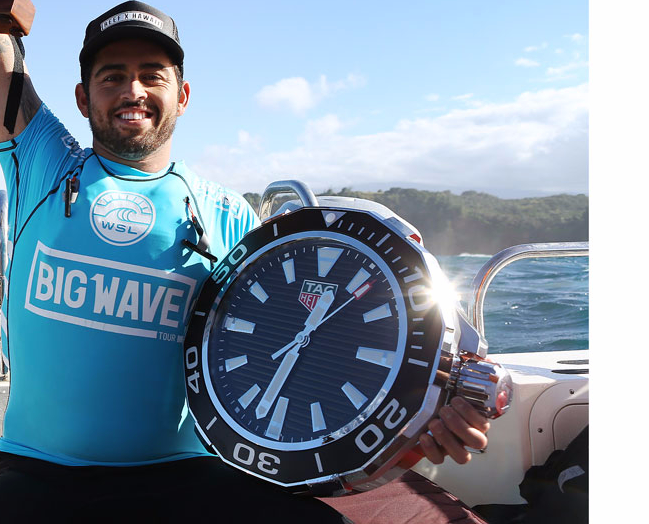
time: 12:32
